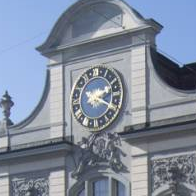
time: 2:18
